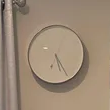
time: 5:24
